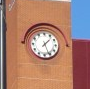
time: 1:26
